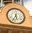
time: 5:33
